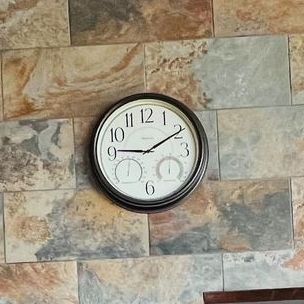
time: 9:10
